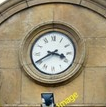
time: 3:40
